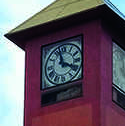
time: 3:57
